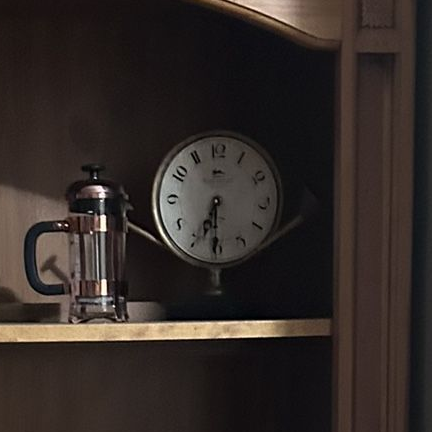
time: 6:30
